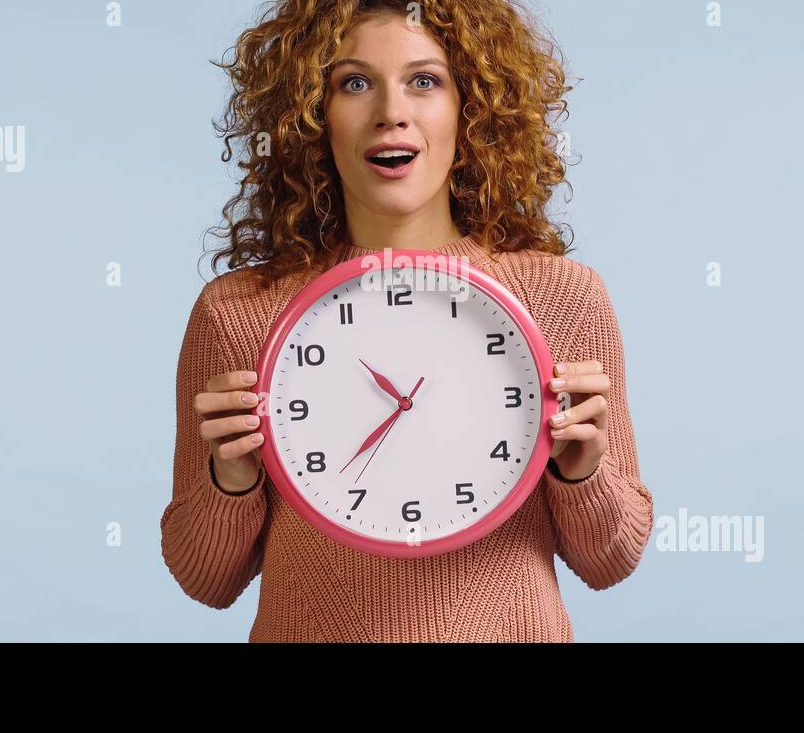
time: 10:37
